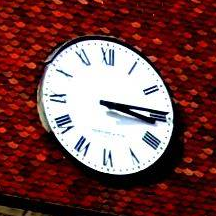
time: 3:14
